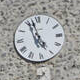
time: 4:57
